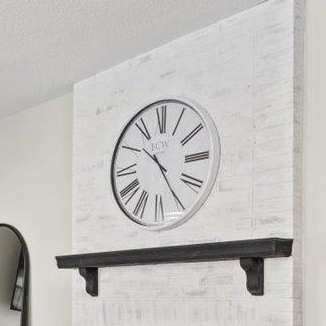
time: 10:24
